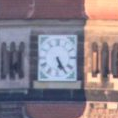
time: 5:24
